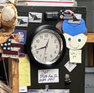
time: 12:42
